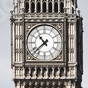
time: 10:37
